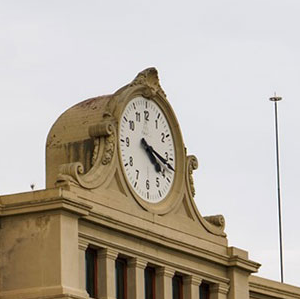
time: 4:17
